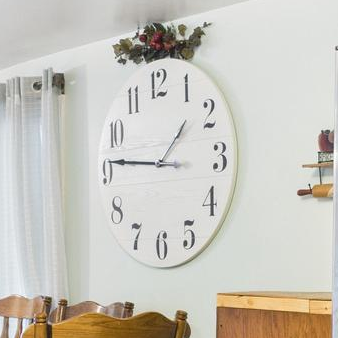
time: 1:46
